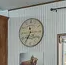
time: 11:35
